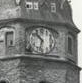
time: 10:32
